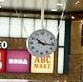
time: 10:16
